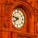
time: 7:47
